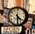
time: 4:29
